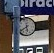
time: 5:38
